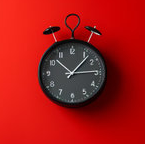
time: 1:14
